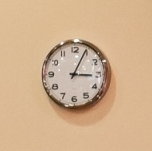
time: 3:04
